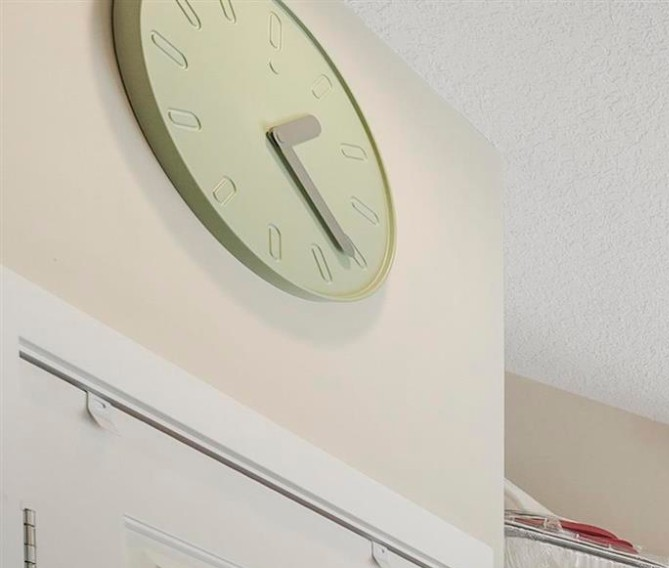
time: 2:26
